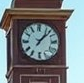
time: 1:07
